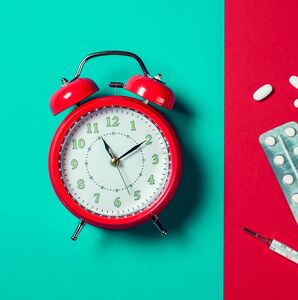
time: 11:09
